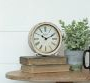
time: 10:10
